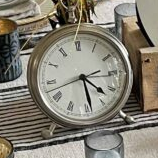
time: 4:28
